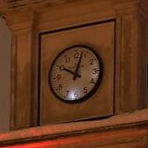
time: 10:02
